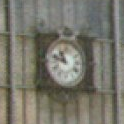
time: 10:47
